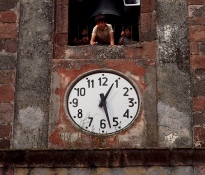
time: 12:27
